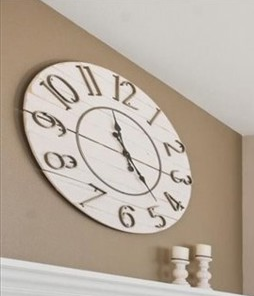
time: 11:22
